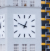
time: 12:48
